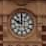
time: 10:00
